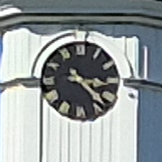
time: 3:22
